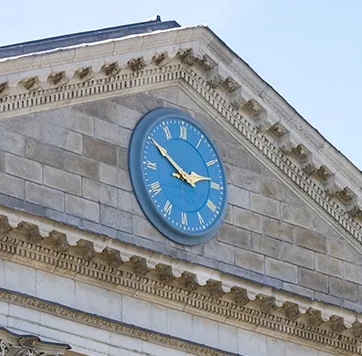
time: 2:50
